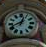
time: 12:41
